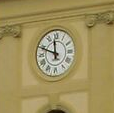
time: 11:48
